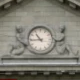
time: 10:44
